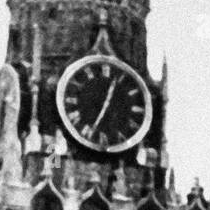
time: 12:34
